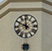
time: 11:49
